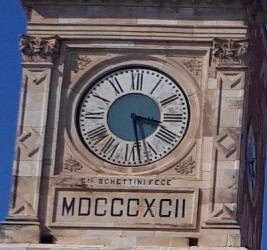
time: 3:28
